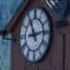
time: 11:13
